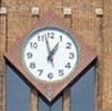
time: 12:57
